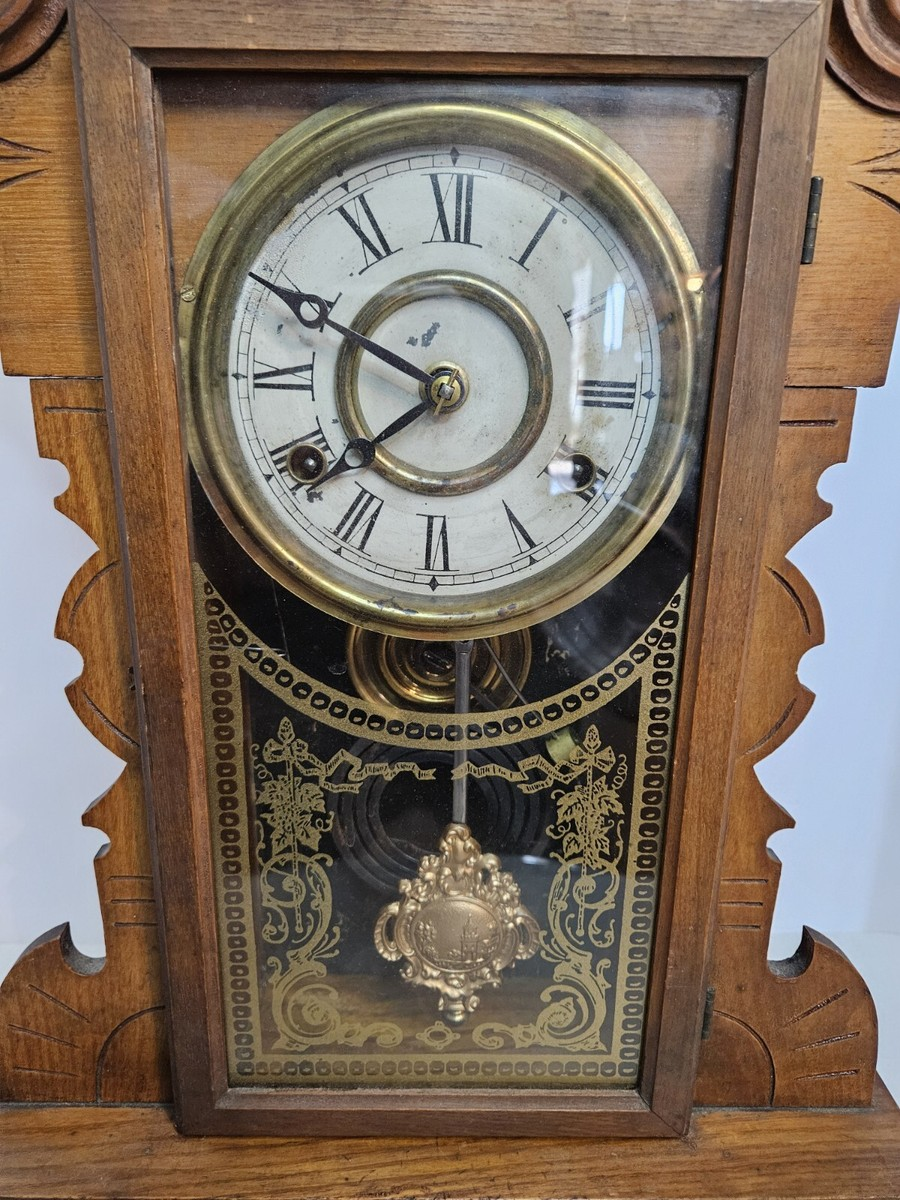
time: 7:49
